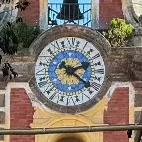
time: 2:20
